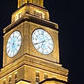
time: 6:39
